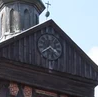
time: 3:39
